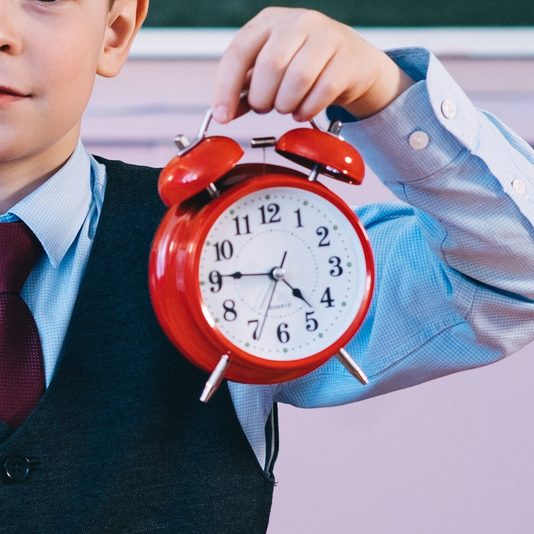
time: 4:45
